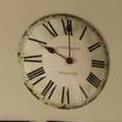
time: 10:00
